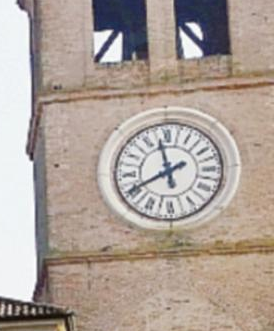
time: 11:40
